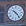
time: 10:23
